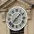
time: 7:07
